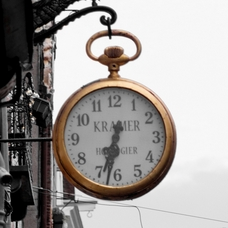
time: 6:32
